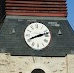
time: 8:12
